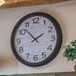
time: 1:52
